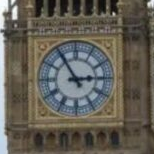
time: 2:54
